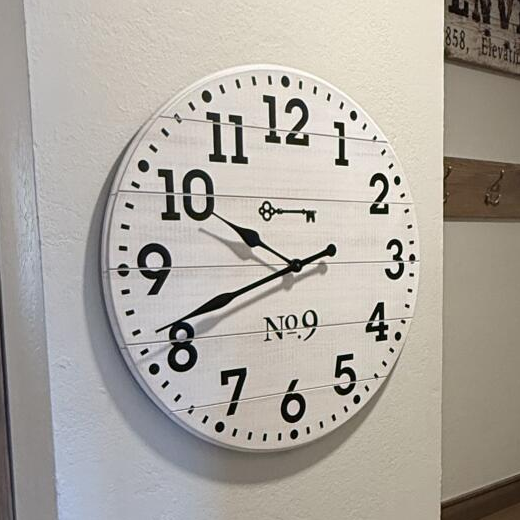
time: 9:41
